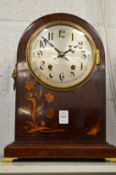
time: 1:52
